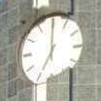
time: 7:00
